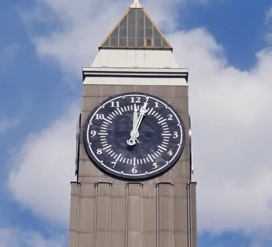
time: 12:02
